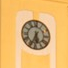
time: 5:33
